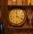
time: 3:58
